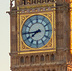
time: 7:44
